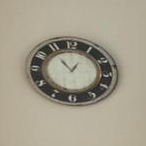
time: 12:53
